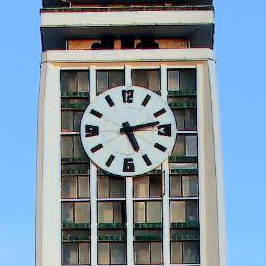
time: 5:12
